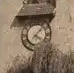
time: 4:07
